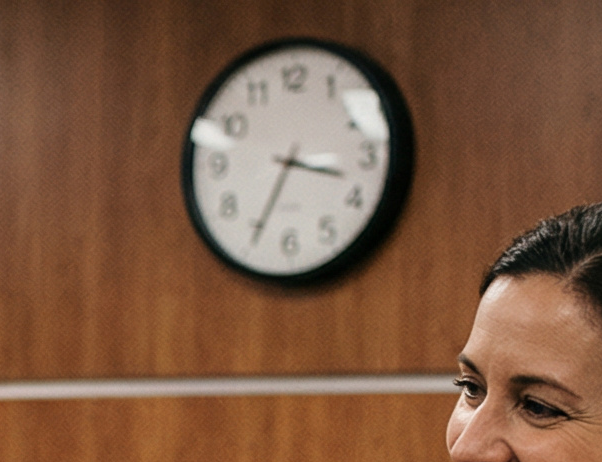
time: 3:34
